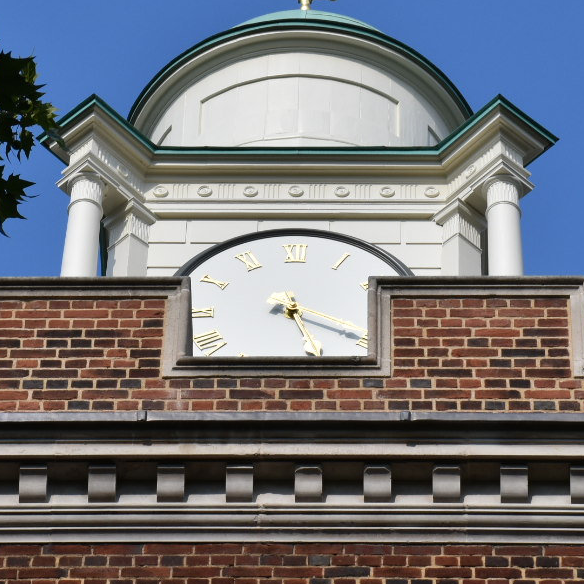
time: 5:19
